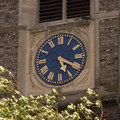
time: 5:19
